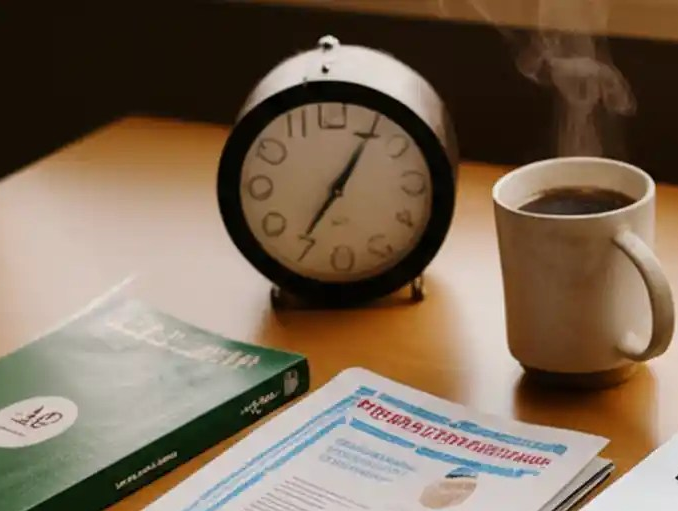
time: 7:05
